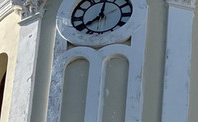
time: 8:01
